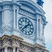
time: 1:37
